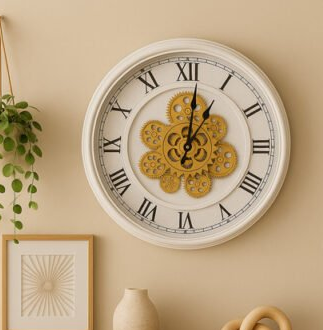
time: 1:01
